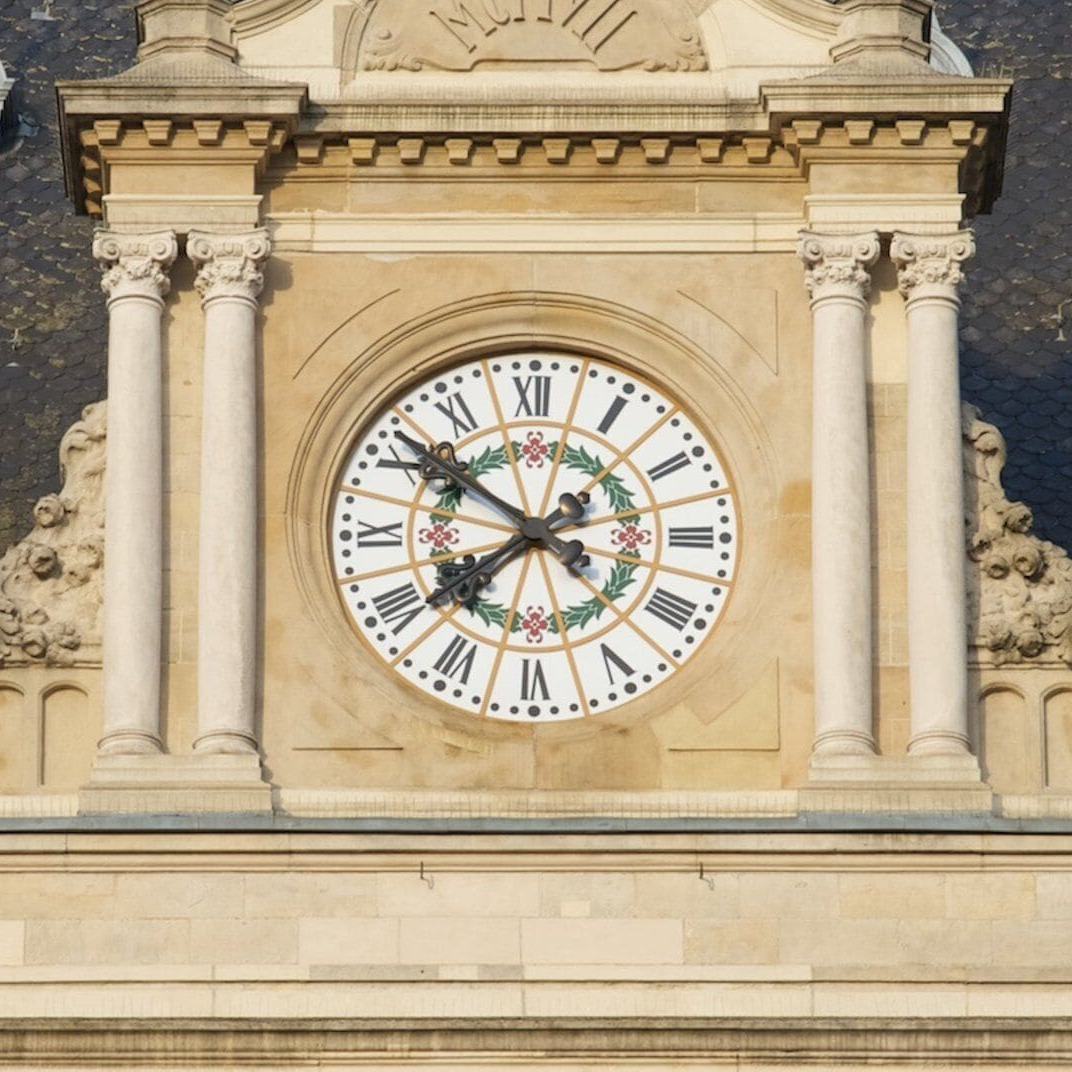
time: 7:51
